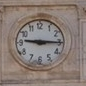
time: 9:15
